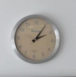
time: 2:05
